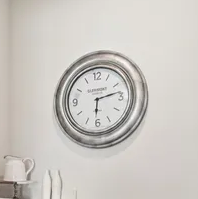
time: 6:13
